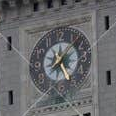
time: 8:07
